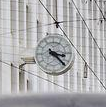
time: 3:22
